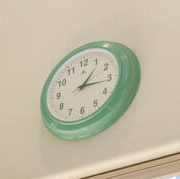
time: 1:16
